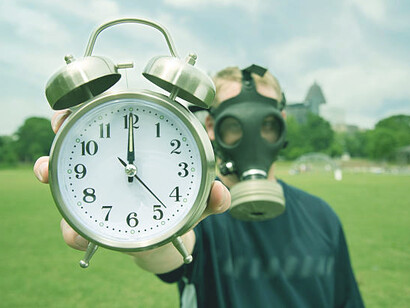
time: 12:00
